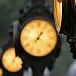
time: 1:05
